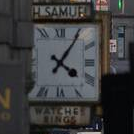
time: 4:05
